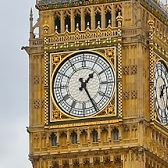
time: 1:25
